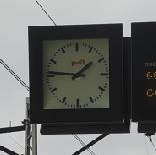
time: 1:46
